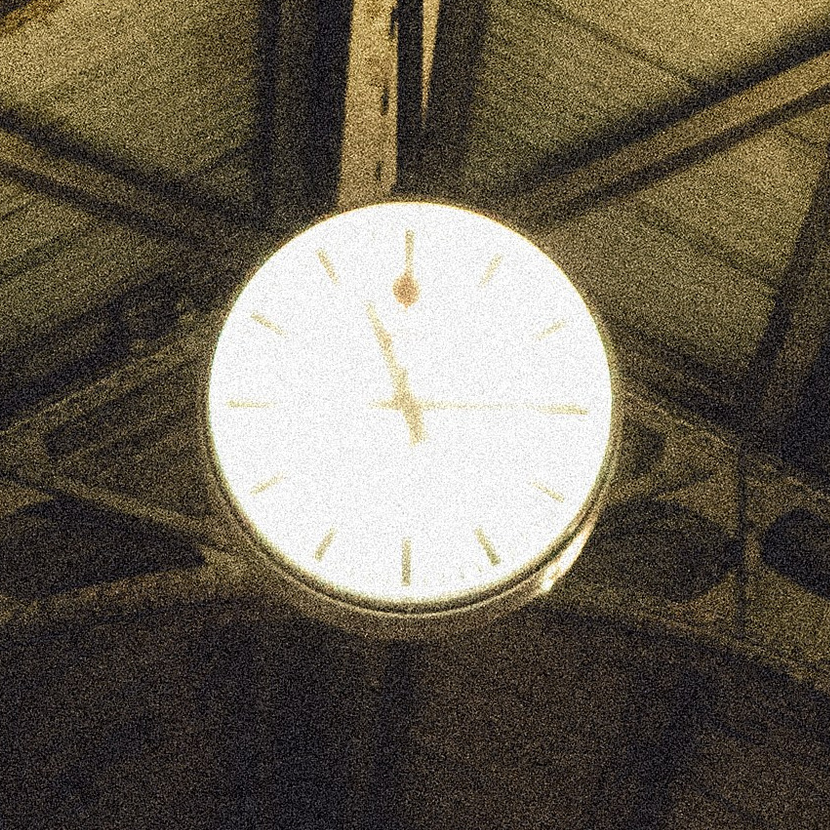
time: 11:14
